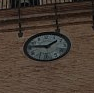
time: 1:46
